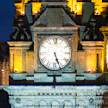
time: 5:26
